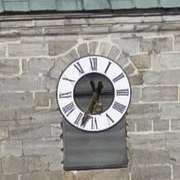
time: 11:34
